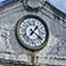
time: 1:21
